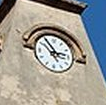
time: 2:54
